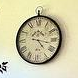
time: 4:16
